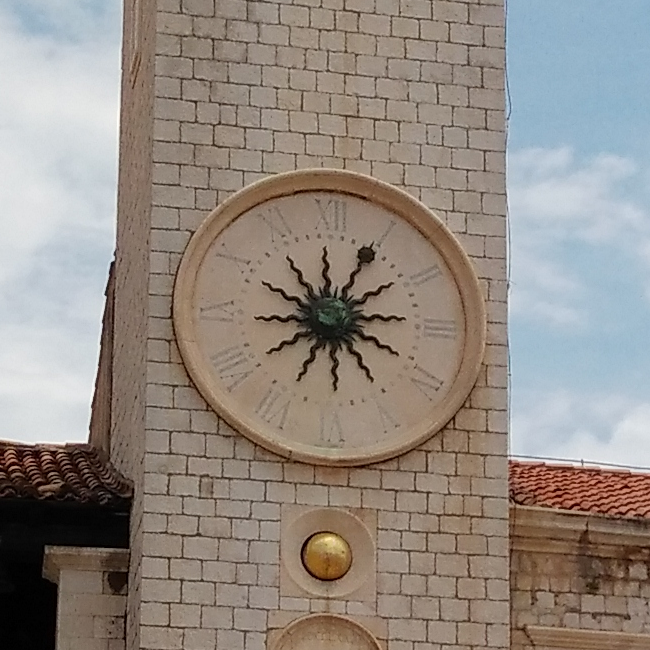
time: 3:04
